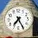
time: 7:25
